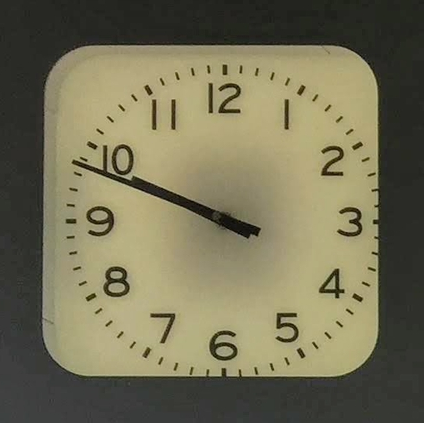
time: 9:48
